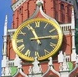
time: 11:14
